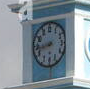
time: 8:43
